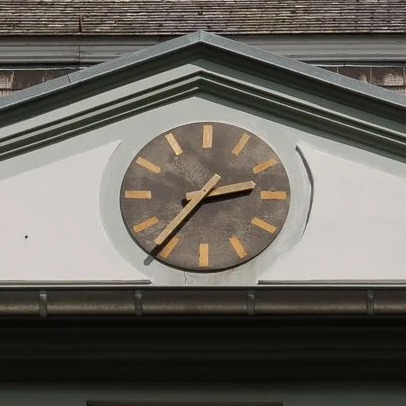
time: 2:36
